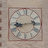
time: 9:13
